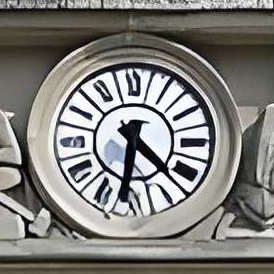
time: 6:22
